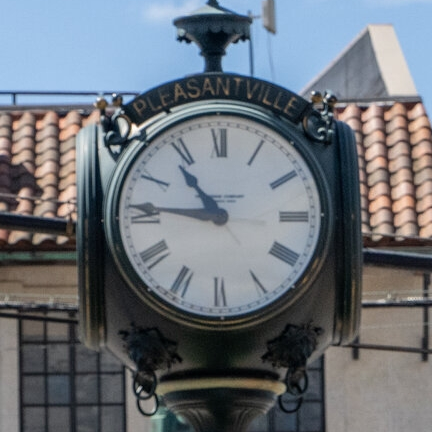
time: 10:45
